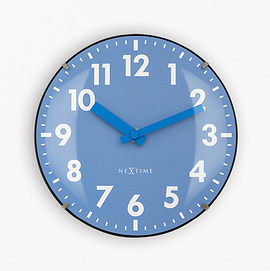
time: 10:11
